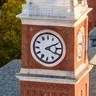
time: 4:10
